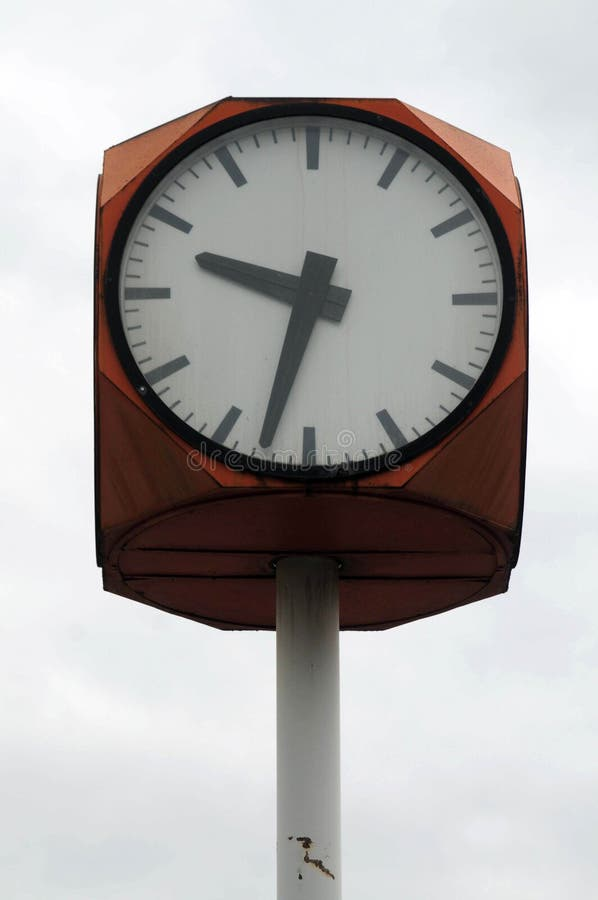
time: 9:32
